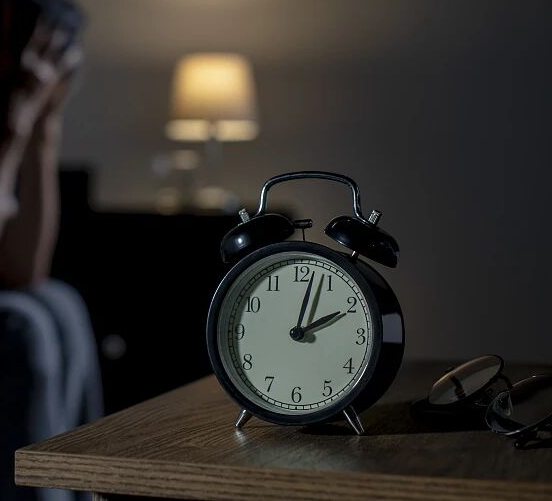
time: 2:02
